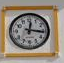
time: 12:16
